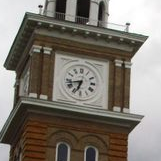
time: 6:42
